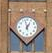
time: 12:57
